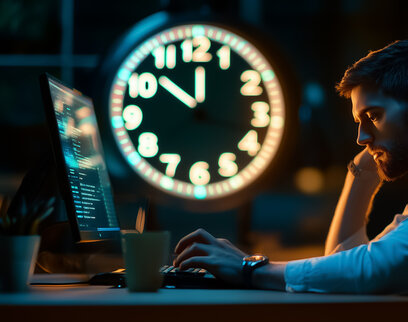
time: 11:52
